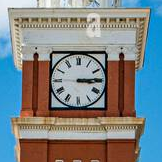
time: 3:14
